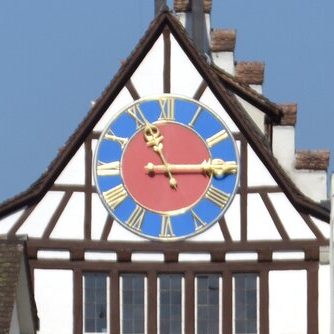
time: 11:14
